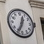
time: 12:34
